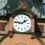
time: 1:46
